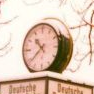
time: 10:38
